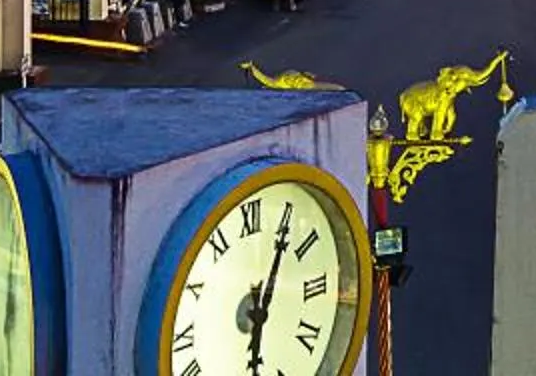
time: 6:05
